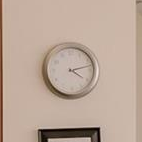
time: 4:12
